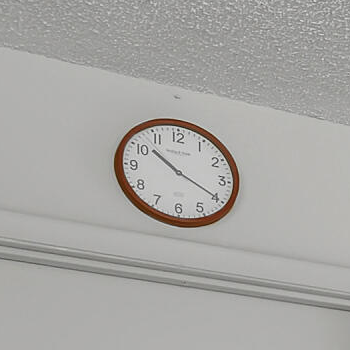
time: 10:19
